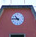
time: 10:45
